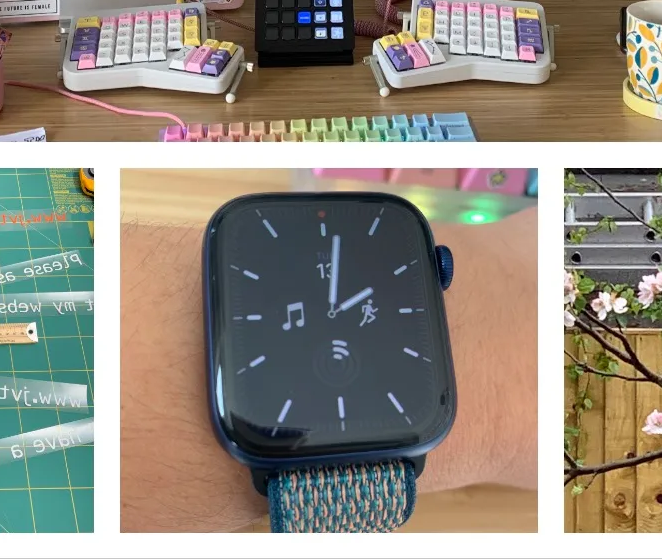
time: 2:01
